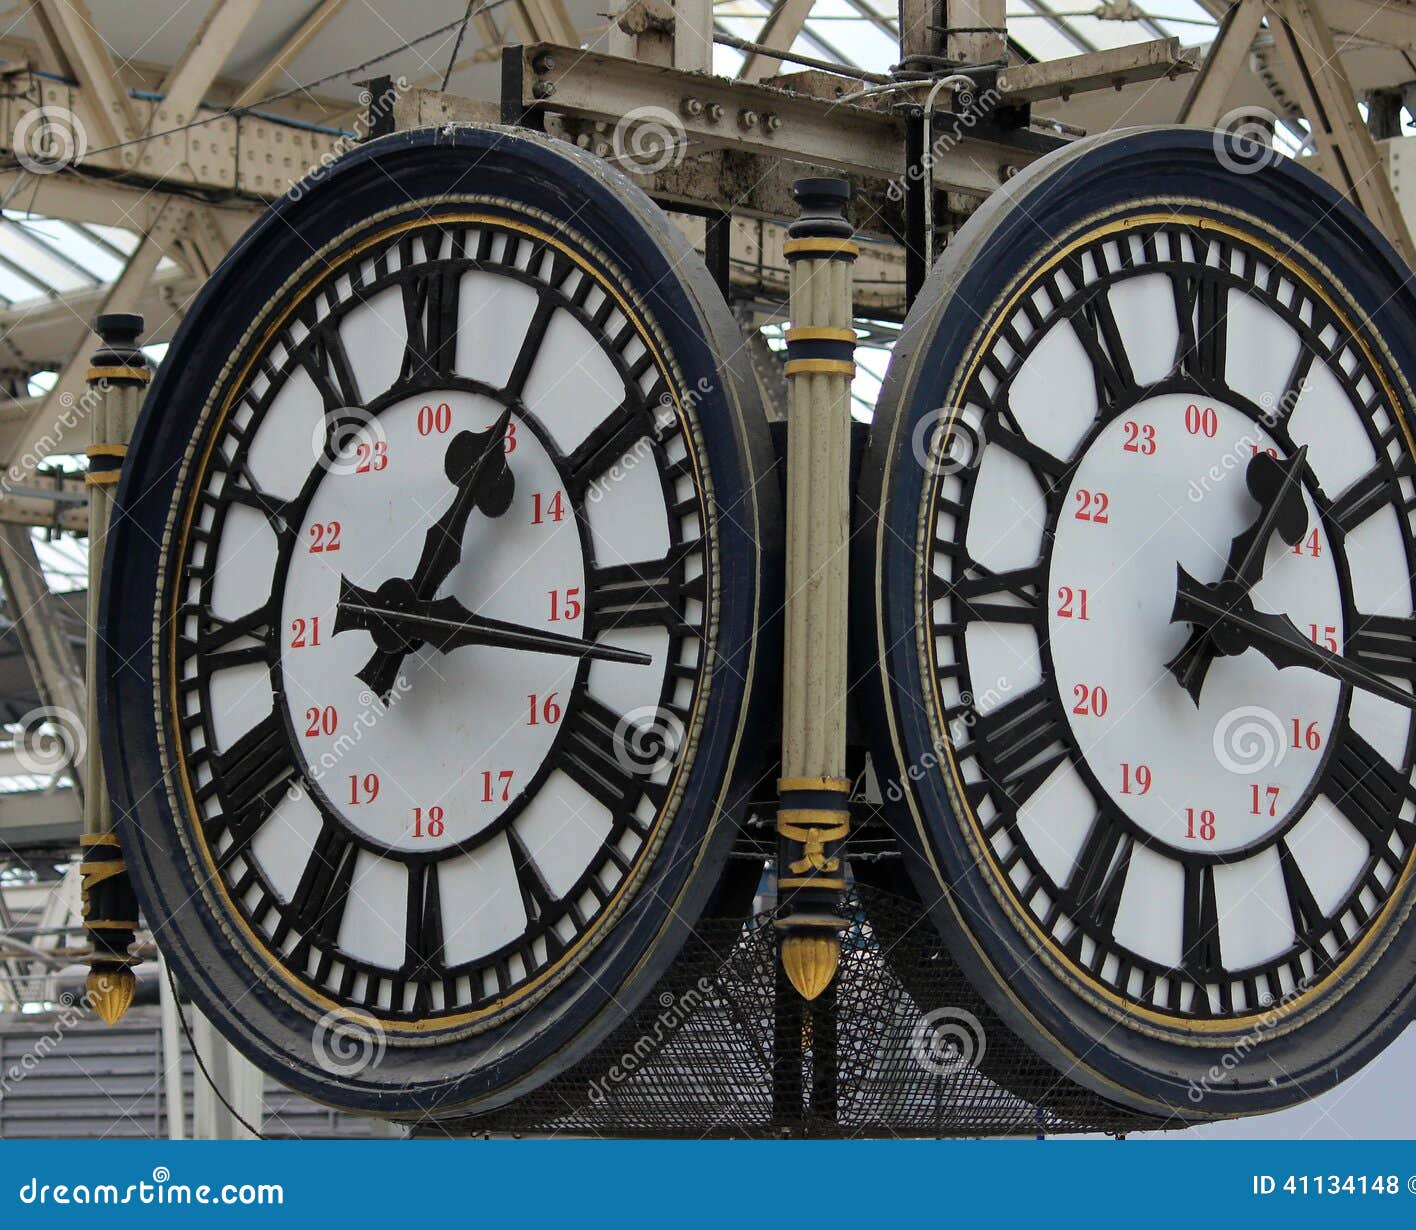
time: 1:16
